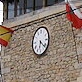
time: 6:21
